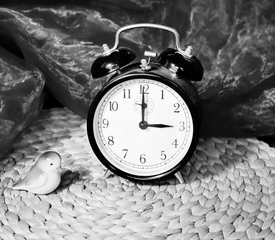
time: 3:00
